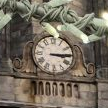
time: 3:14
